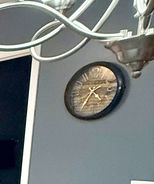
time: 4:35
